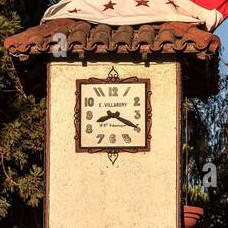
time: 8:19
